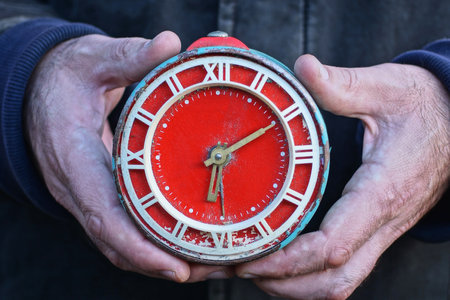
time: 6:10
